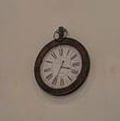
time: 3:35
